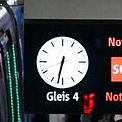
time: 6:32
